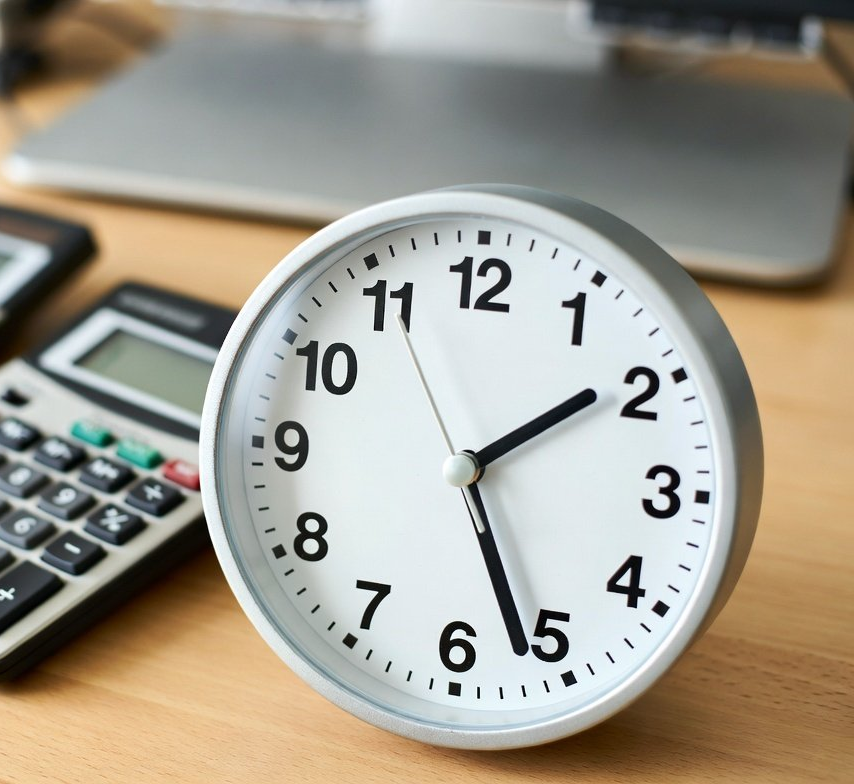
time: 1:26
